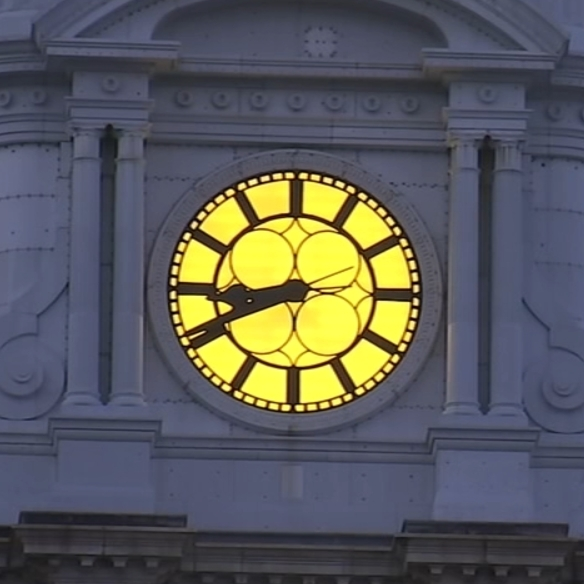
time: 8:41
